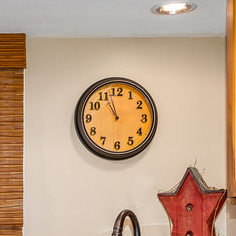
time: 10:57
